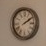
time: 2:09
